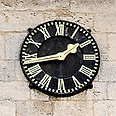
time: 1:43
